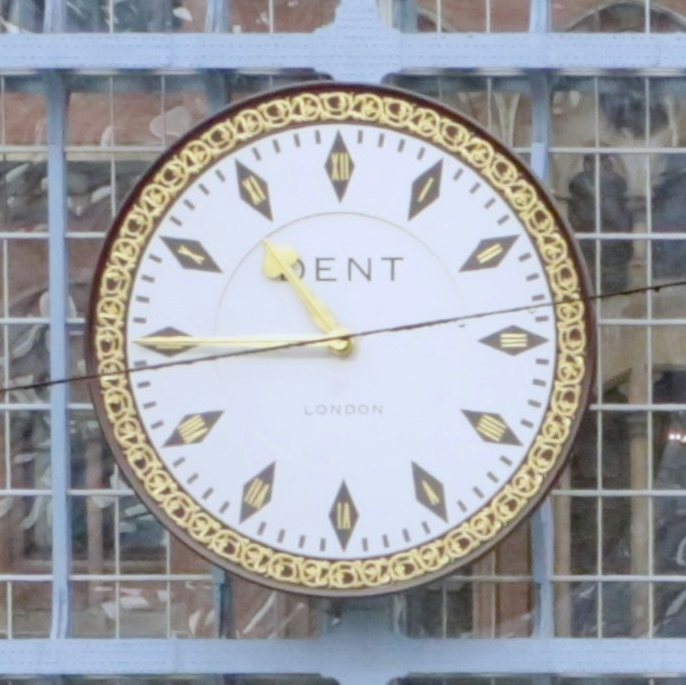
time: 10:44
